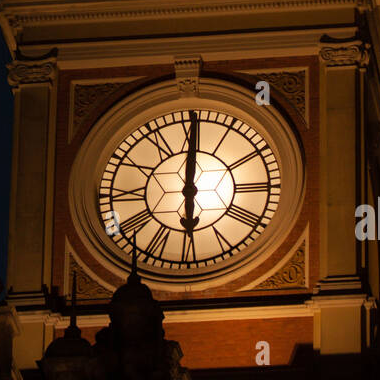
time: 6:00
